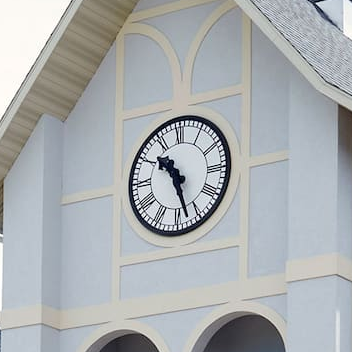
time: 10:27
